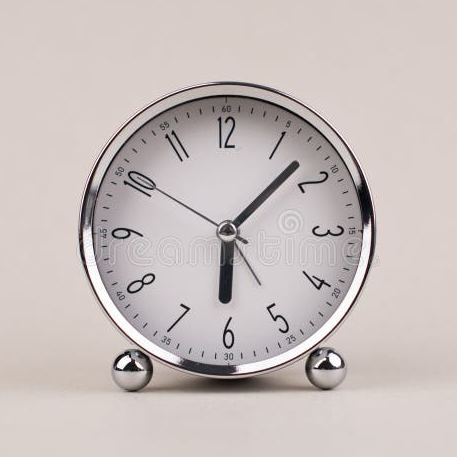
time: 6:07
